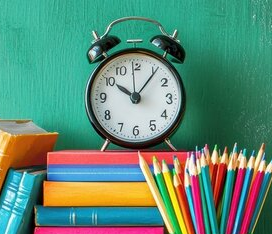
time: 10:06
